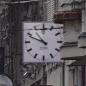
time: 10:48
